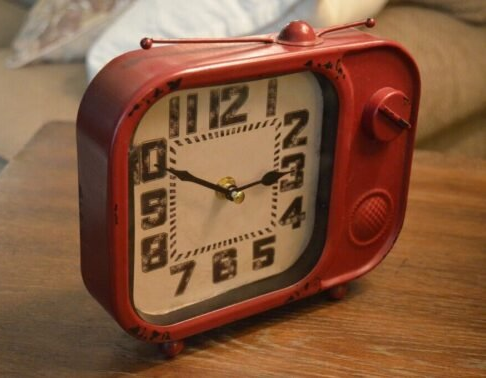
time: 2:49
